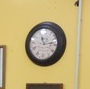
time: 11:13
